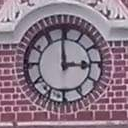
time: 2:59
